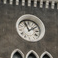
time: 1:56
